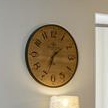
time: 1:33
